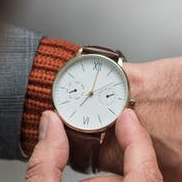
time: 7:01
